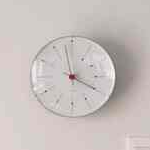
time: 3:58
